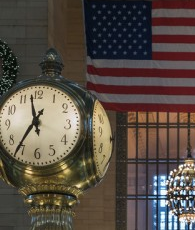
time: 11:35
